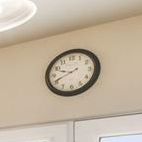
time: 9:41
